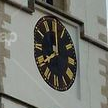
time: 8:00
